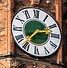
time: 2:37
